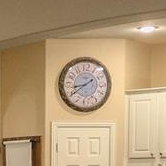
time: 8:39
